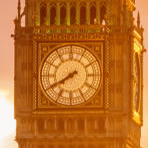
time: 7:40
